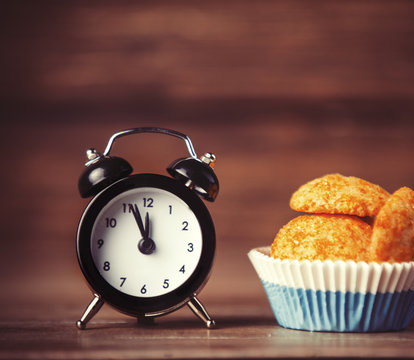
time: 11:56
